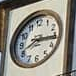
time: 8:16
